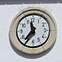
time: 11:36
